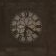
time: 6:21
